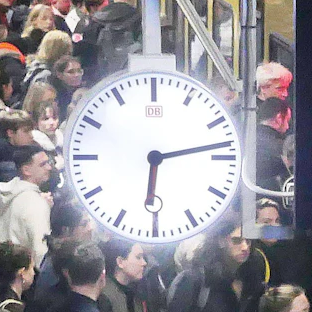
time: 6:13
